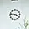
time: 3:46
